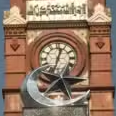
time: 12:32
